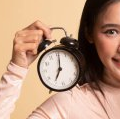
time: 7:01
